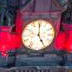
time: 4:59
